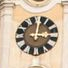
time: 3:00
